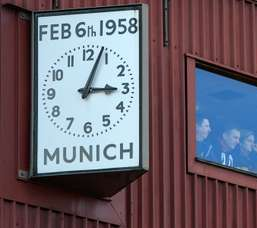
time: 3:04
